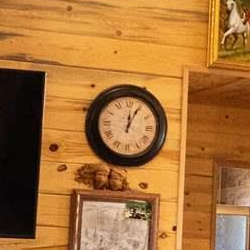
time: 12:04
